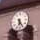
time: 6:25
